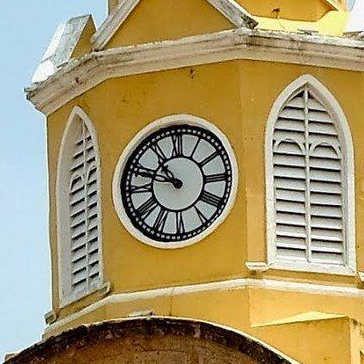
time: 10:47
